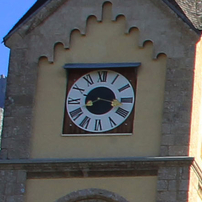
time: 8:16
